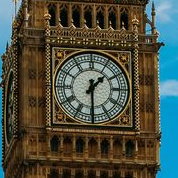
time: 1:29
